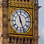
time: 11:26
